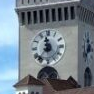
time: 11:36
